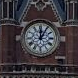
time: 12:05
